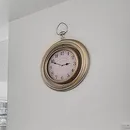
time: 2:48
